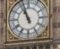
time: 10:56
